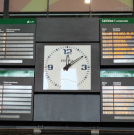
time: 12:09
